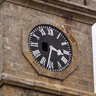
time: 3:32
